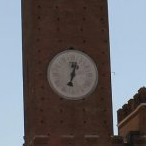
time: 12:32
